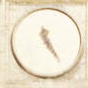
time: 5:24
